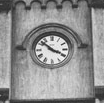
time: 3:51
